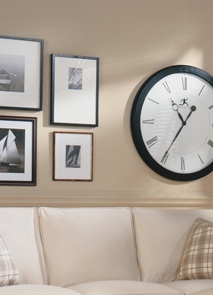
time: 10:35
